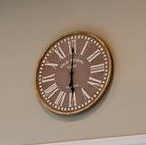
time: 6:00
